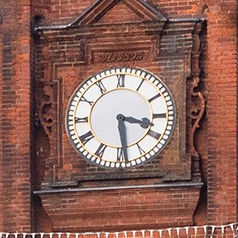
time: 3:28
